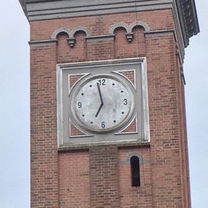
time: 6:58
